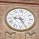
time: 9:25
